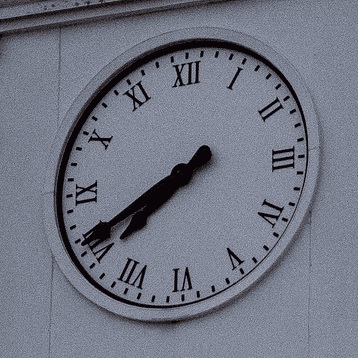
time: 7:40
